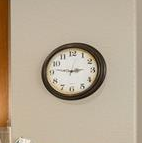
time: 2:46
